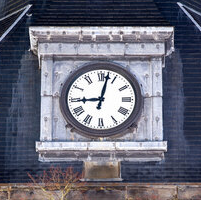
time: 9:02
